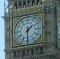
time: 1:30
